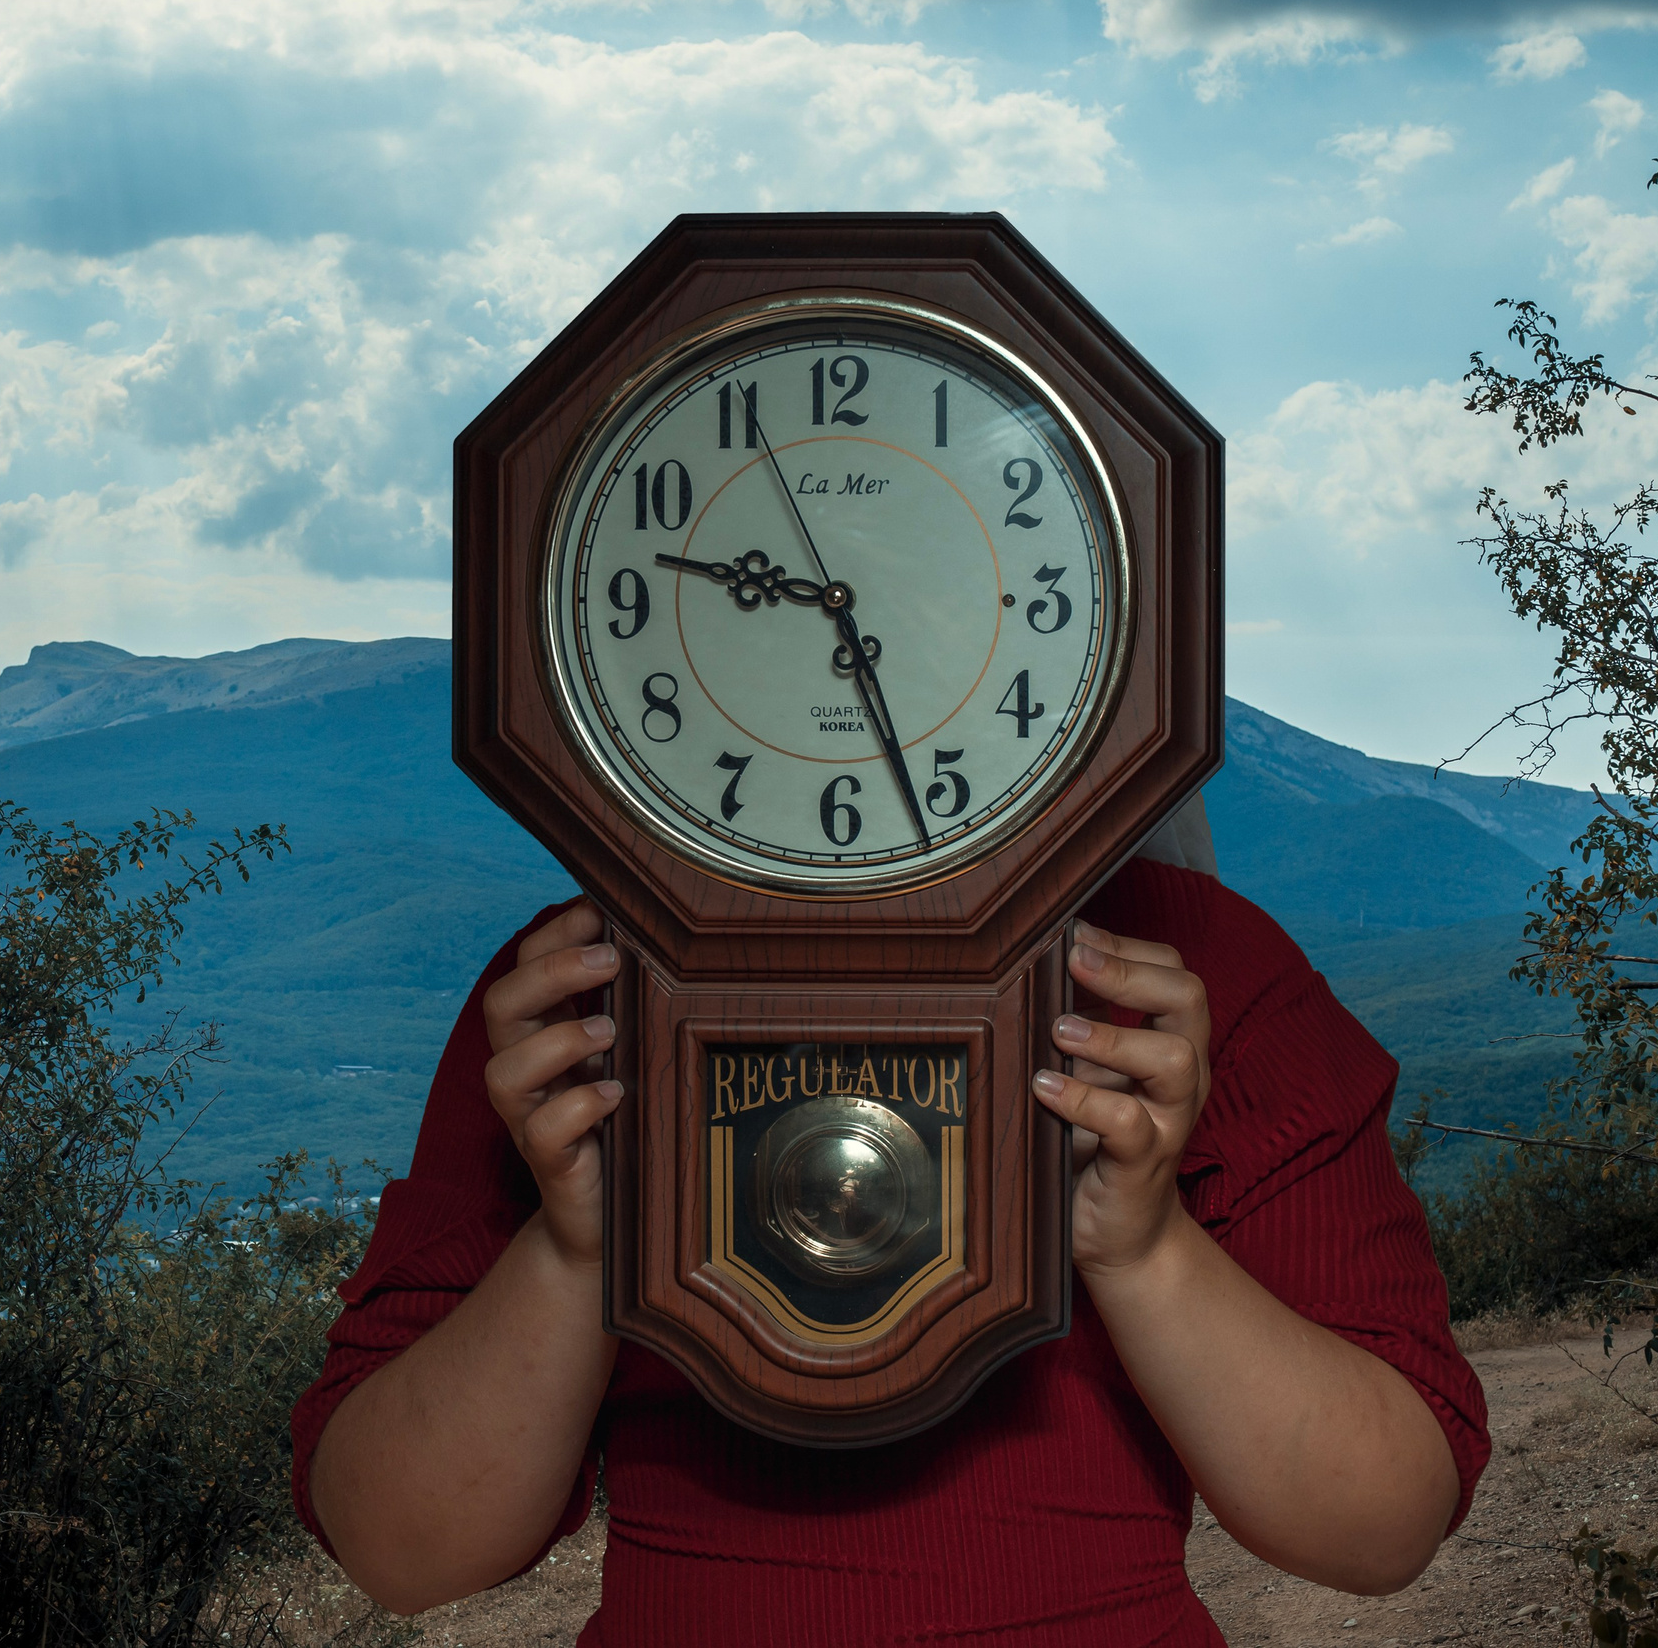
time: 9:26
